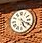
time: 5:19
